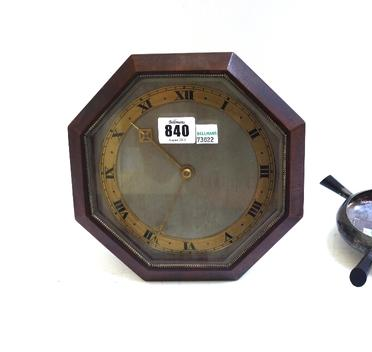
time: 10:34
